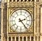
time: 2:23
